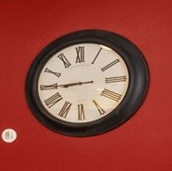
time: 8:44
